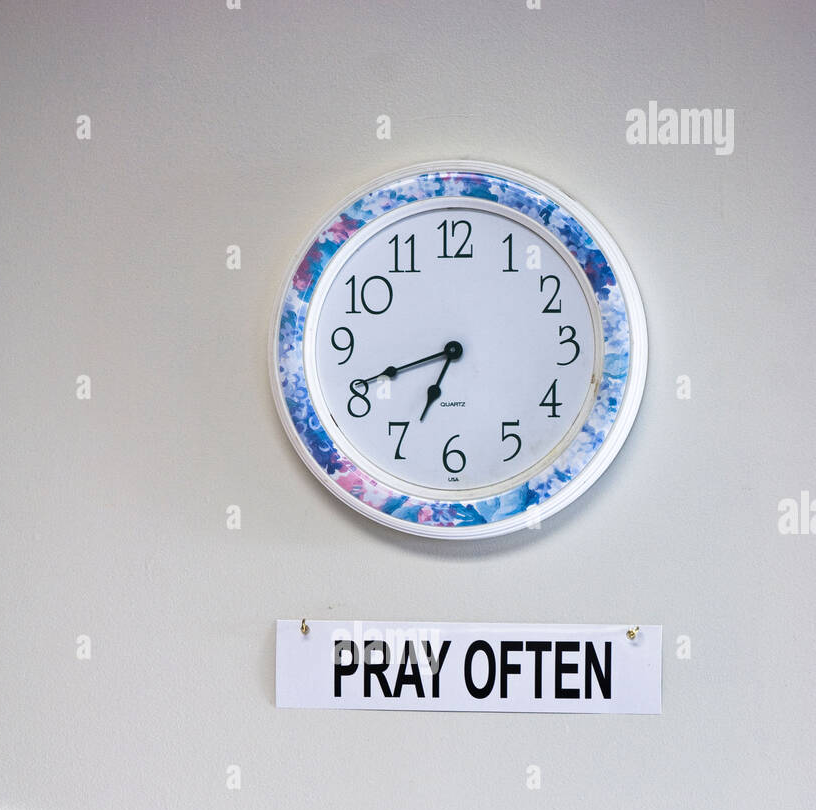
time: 6:41
